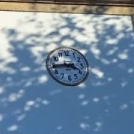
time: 3:43
